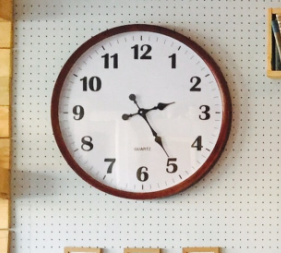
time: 2:24
